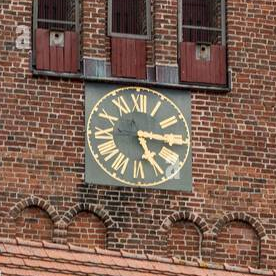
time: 5:15
